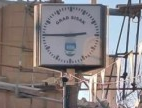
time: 2:45
